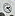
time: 2:23
